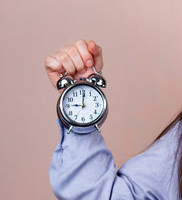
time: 9:01
